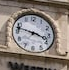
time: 3:47
